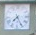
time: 7:25
